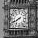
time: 7:40
